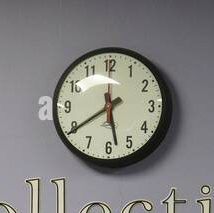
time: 5:39
